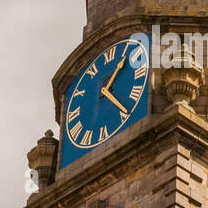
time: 1:24
